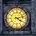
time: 4:12
